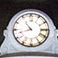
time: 10:42
